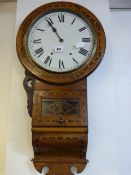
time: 10:54
